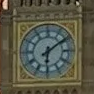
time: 6:09
